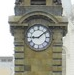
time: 9:08
